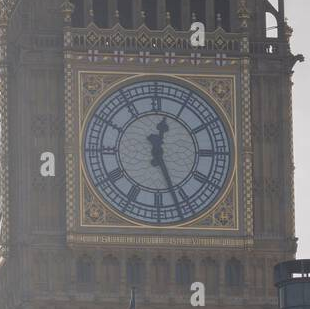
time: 12:26
